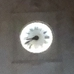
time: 8:40
